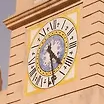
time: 4:28
